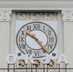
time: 10:24
